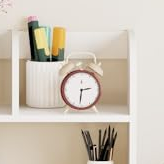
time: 2:31
